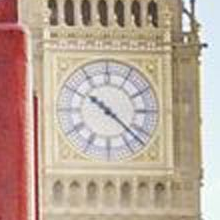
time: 10:21
